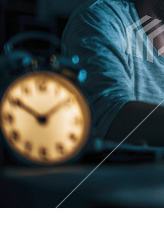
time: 10:08
